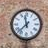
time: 11:37
